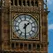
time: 1:30
